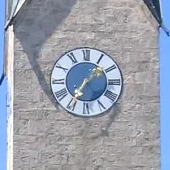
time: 1:35
